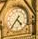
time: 4:35
